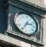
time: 2:34
